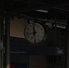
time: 11:42
